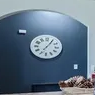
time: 7:05
